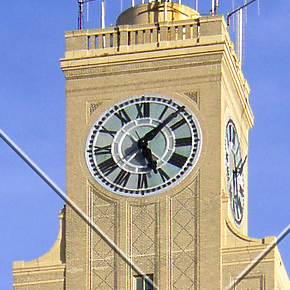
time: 5:07
